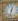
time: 12:32
